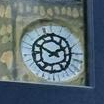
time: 1:49
